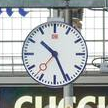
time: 10:26
